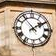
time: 1:53
